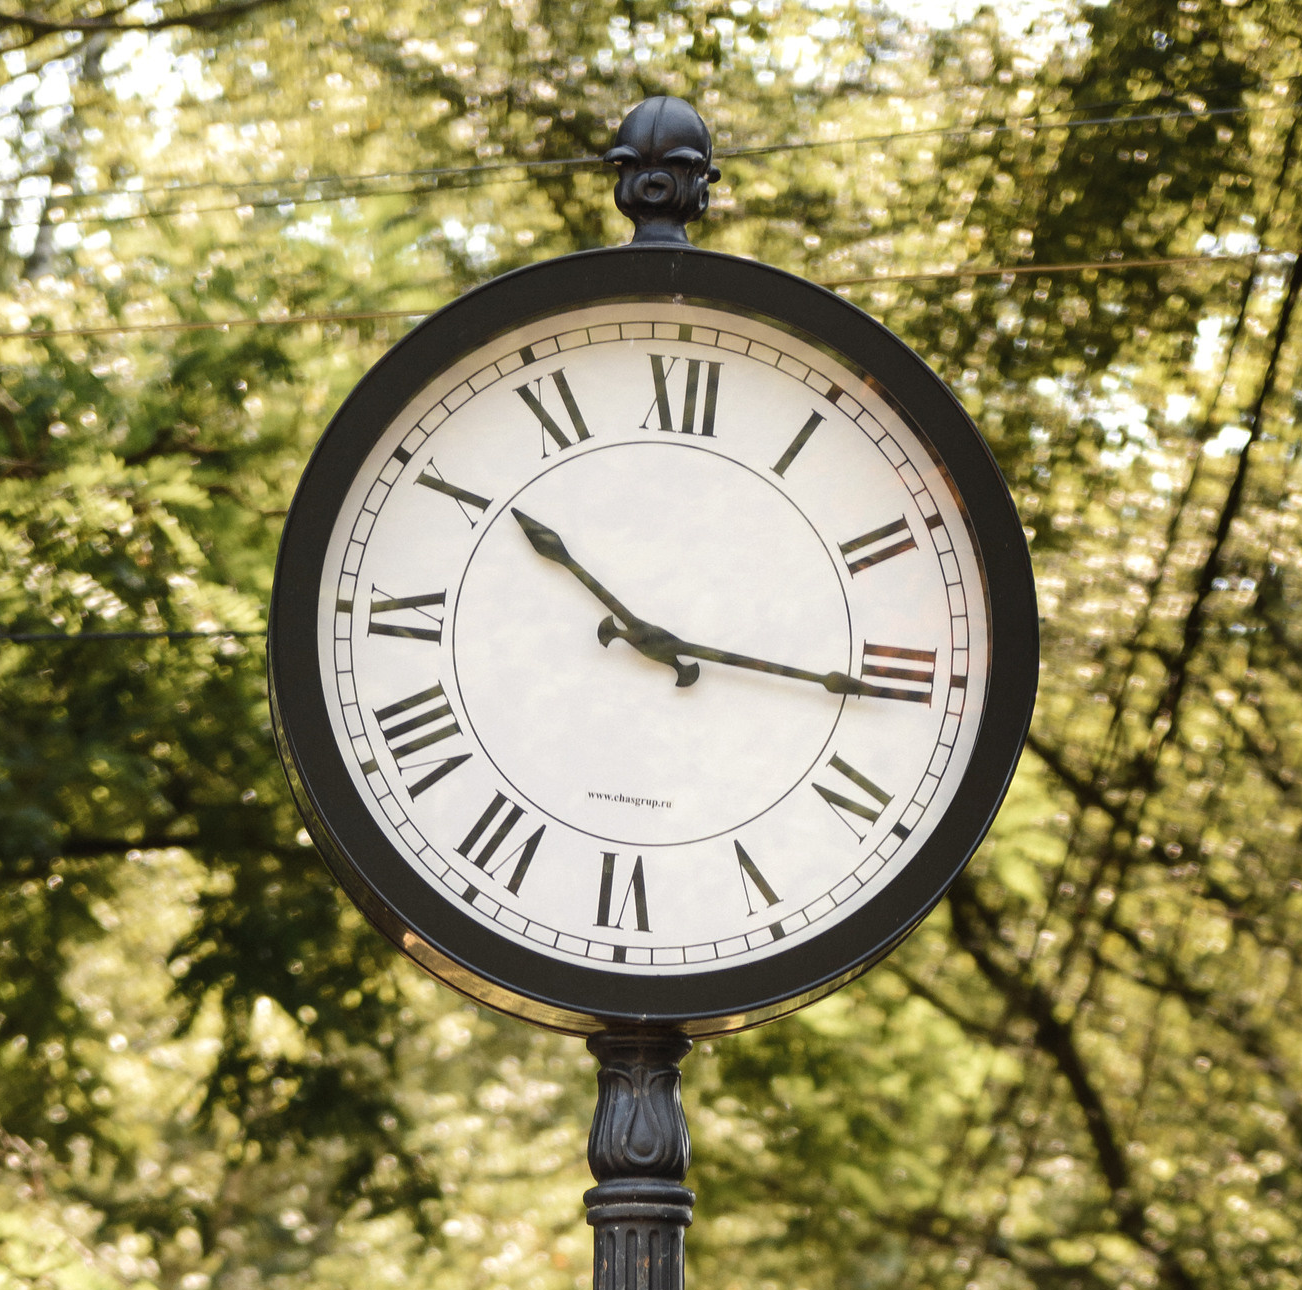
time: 10:15
